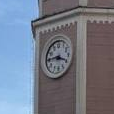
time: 3:45
